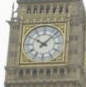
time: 10:07
